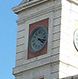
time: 4:17
